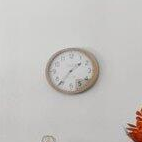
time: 1:36
